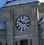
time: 10:17
